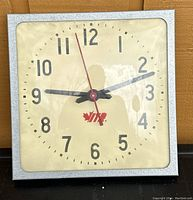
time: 9:12
